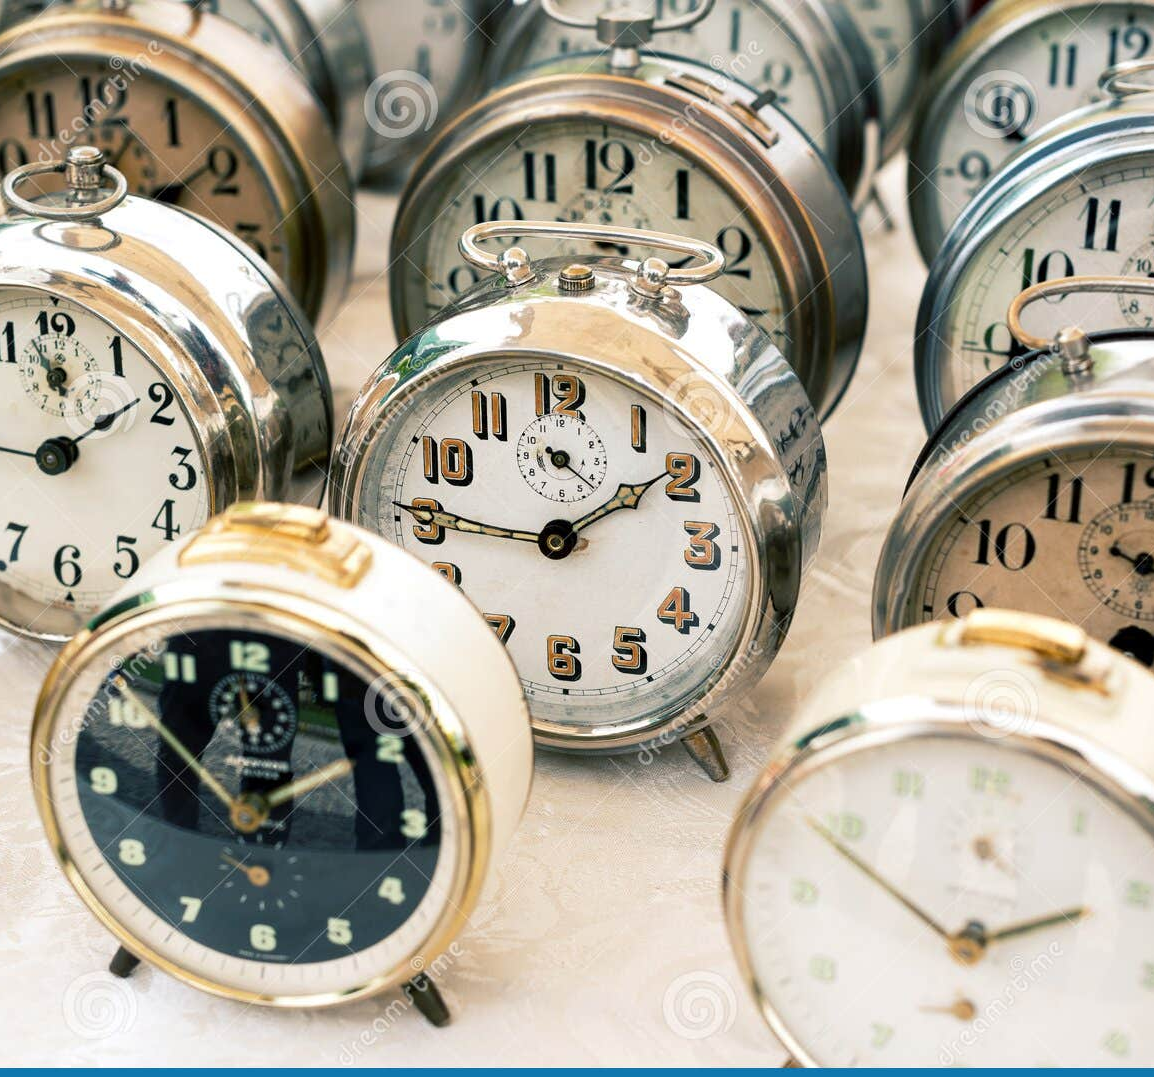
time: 1:46
